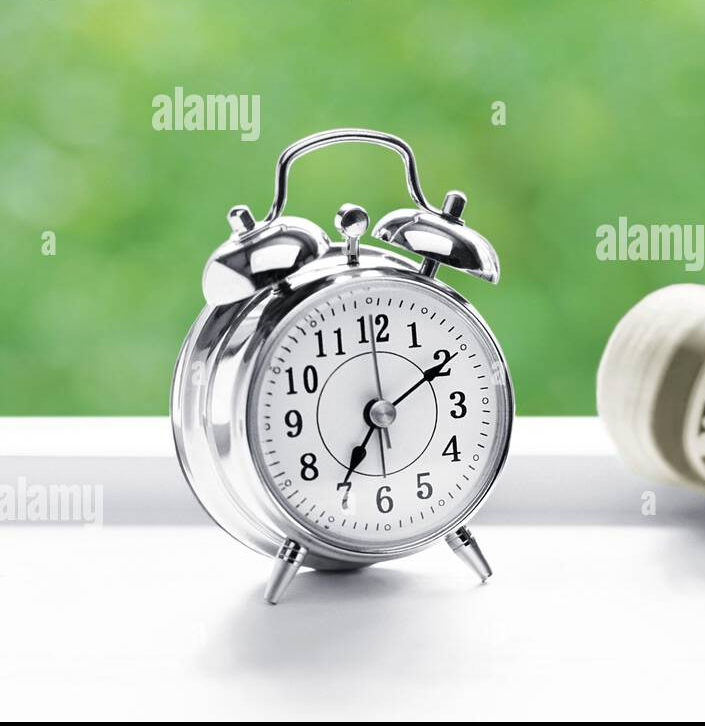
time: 7:09
